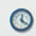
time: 12:21
